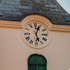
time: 5:03
